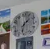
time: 1:32
